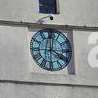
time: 4:00
